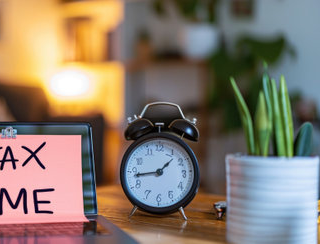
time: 1:43
